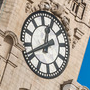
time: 12:41
